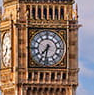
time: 7:32
